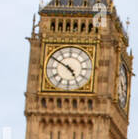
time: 4:50
